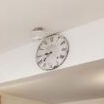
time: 8:38
